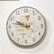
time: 9:47
